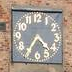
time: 4:35
